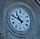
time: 10:48
